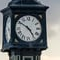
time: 4:50
